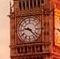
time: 9:22
